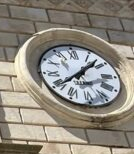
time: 1:39
